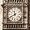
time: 11:40
